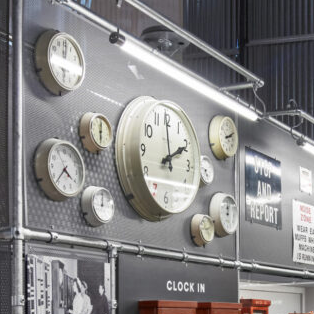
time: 1:59
